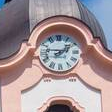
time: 1:46
